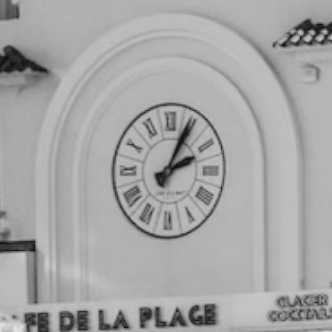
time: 2:04
